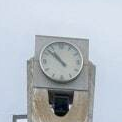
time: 10:52
